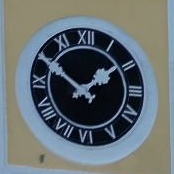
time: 1:50
